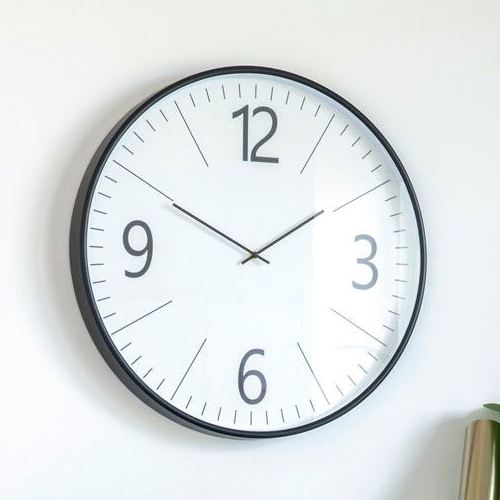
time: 1:49
